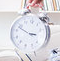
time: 2:48
